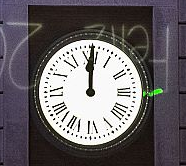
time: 12:00
